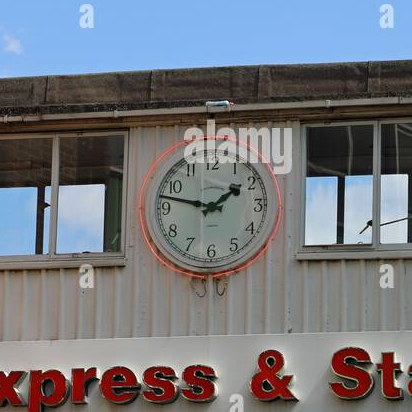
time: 1:47
